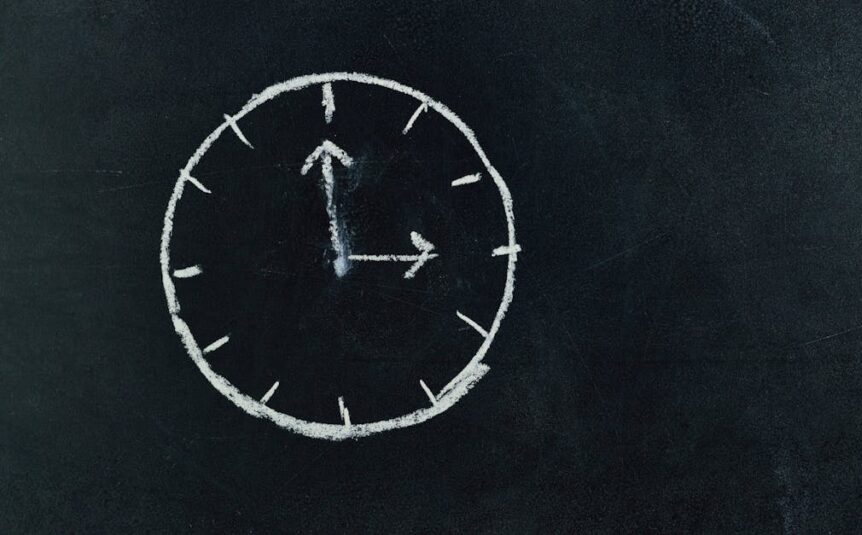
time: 2:59
